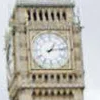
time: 1:13
